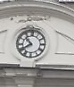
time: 7:52
